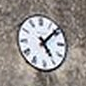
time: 5:08
